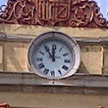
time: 11:54
